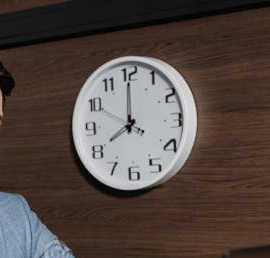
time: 7:59
